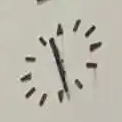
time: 11:28
